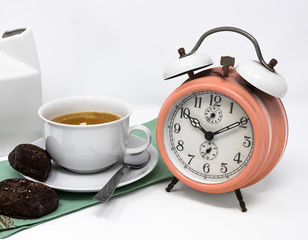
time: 10:09
